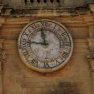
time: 11:46
